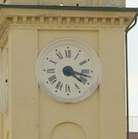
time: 4:17
